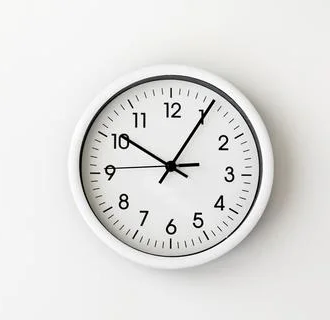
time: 10:05
